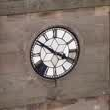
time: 3:50
